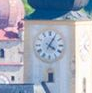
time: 4:04
